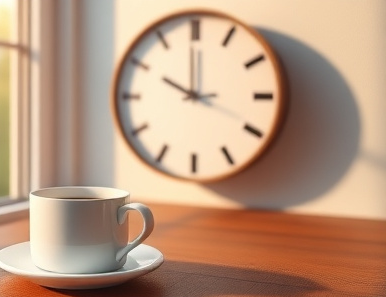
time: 10:00
